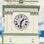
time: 1:32
